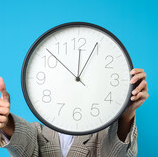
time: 12:04
